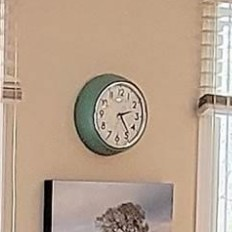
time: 2:23
